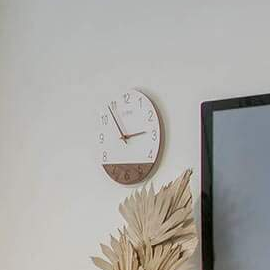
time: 2:53
